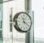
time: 11:19
